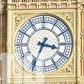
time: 3:34
